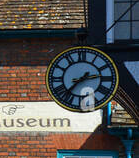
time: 2:37
